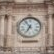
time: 6:54
